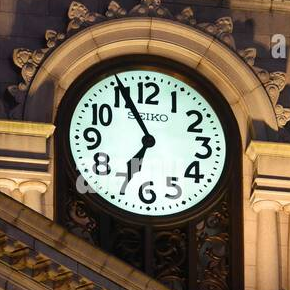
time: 6:55
